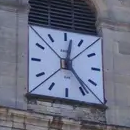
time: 12:23
